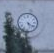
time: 5:21
